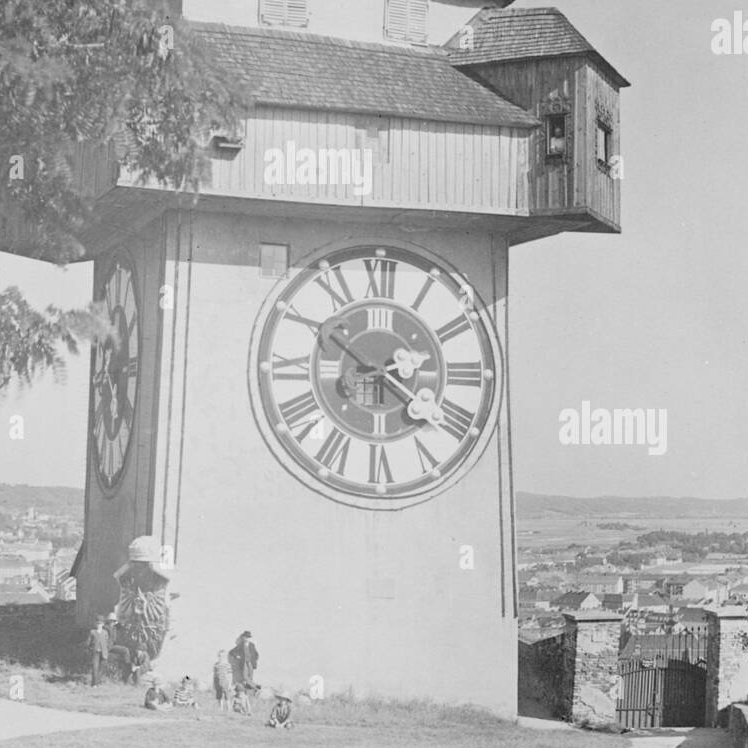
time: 2:21
